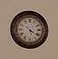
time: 5:21
